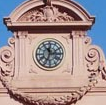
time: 11:33
